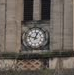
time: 12:47
